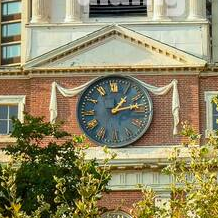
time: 1:12
